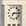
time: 7:15
